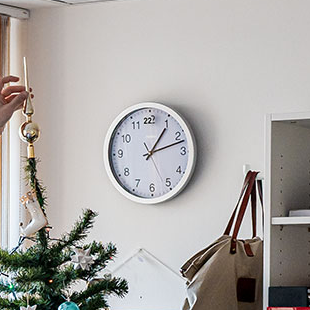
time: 1:12
